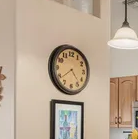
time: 4:38
